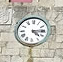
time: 4:14
